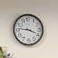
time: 3:46
